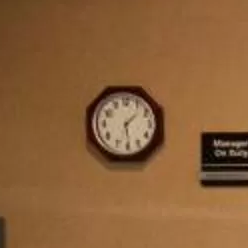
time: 1:29
